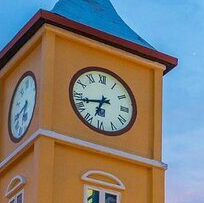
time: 6:42
